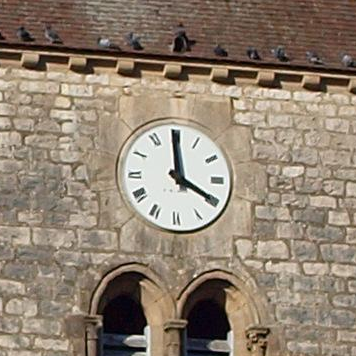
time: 3:59
